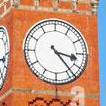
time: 3:23
